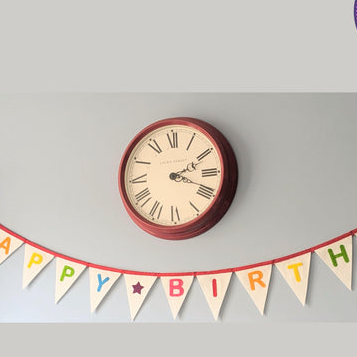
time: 2:18
